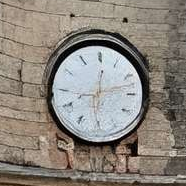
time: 12:12
